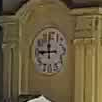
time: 11:44
